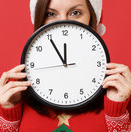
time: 11:54
